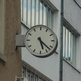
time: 5:22
